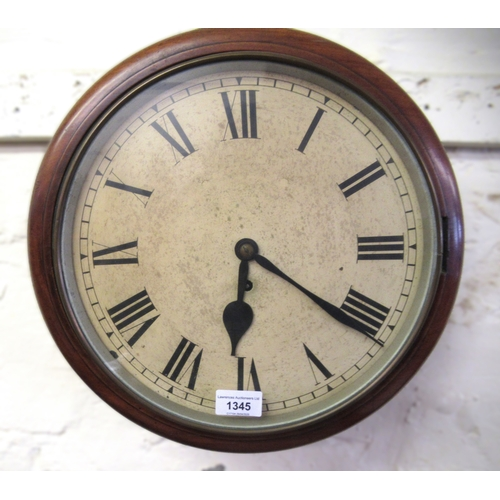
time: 6:20
